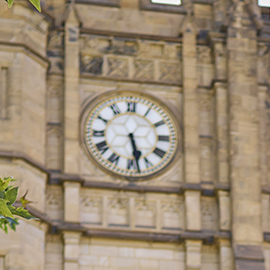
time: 5:28
